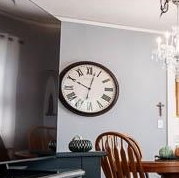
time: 10:02
